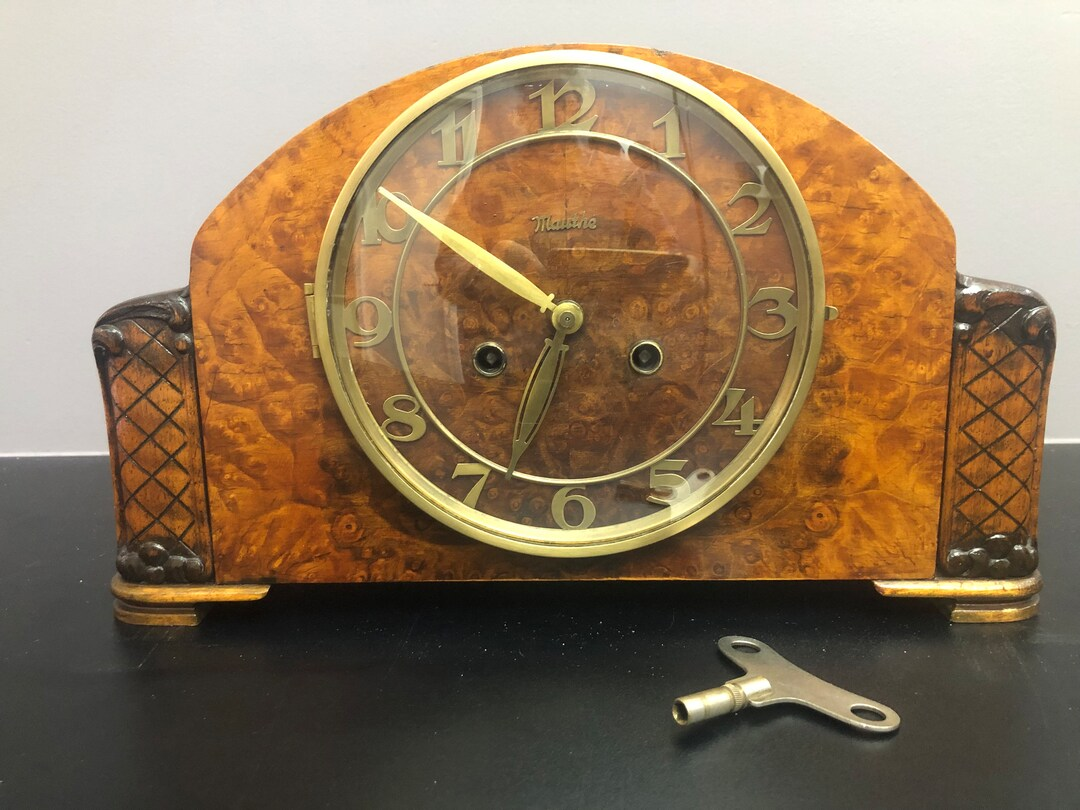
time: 9:50
